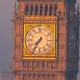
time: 7:35
